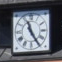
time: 11:24
